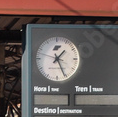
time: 1:25
